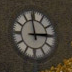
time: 2:58
